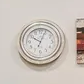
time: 10:03
